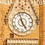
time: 4:57
